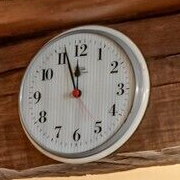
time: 11:56
